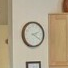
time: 2:20
